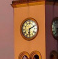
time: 6:10
